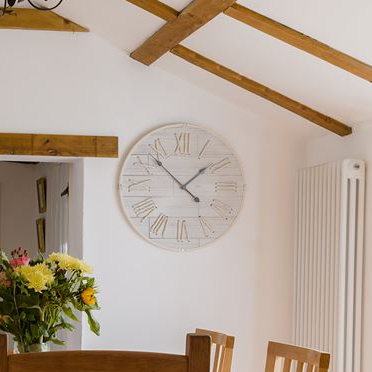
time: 1:52
